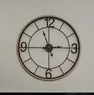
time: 11:14
